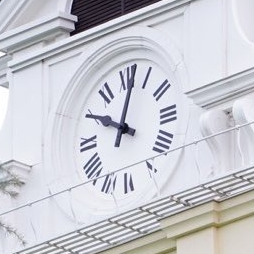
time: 10:02
